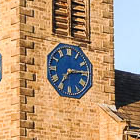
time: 7:14
